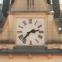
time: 2:37
